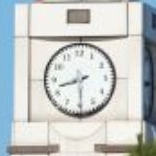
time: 8:29
